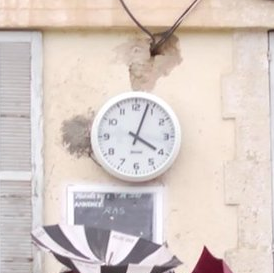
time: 4:03
